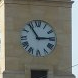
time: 2:54
